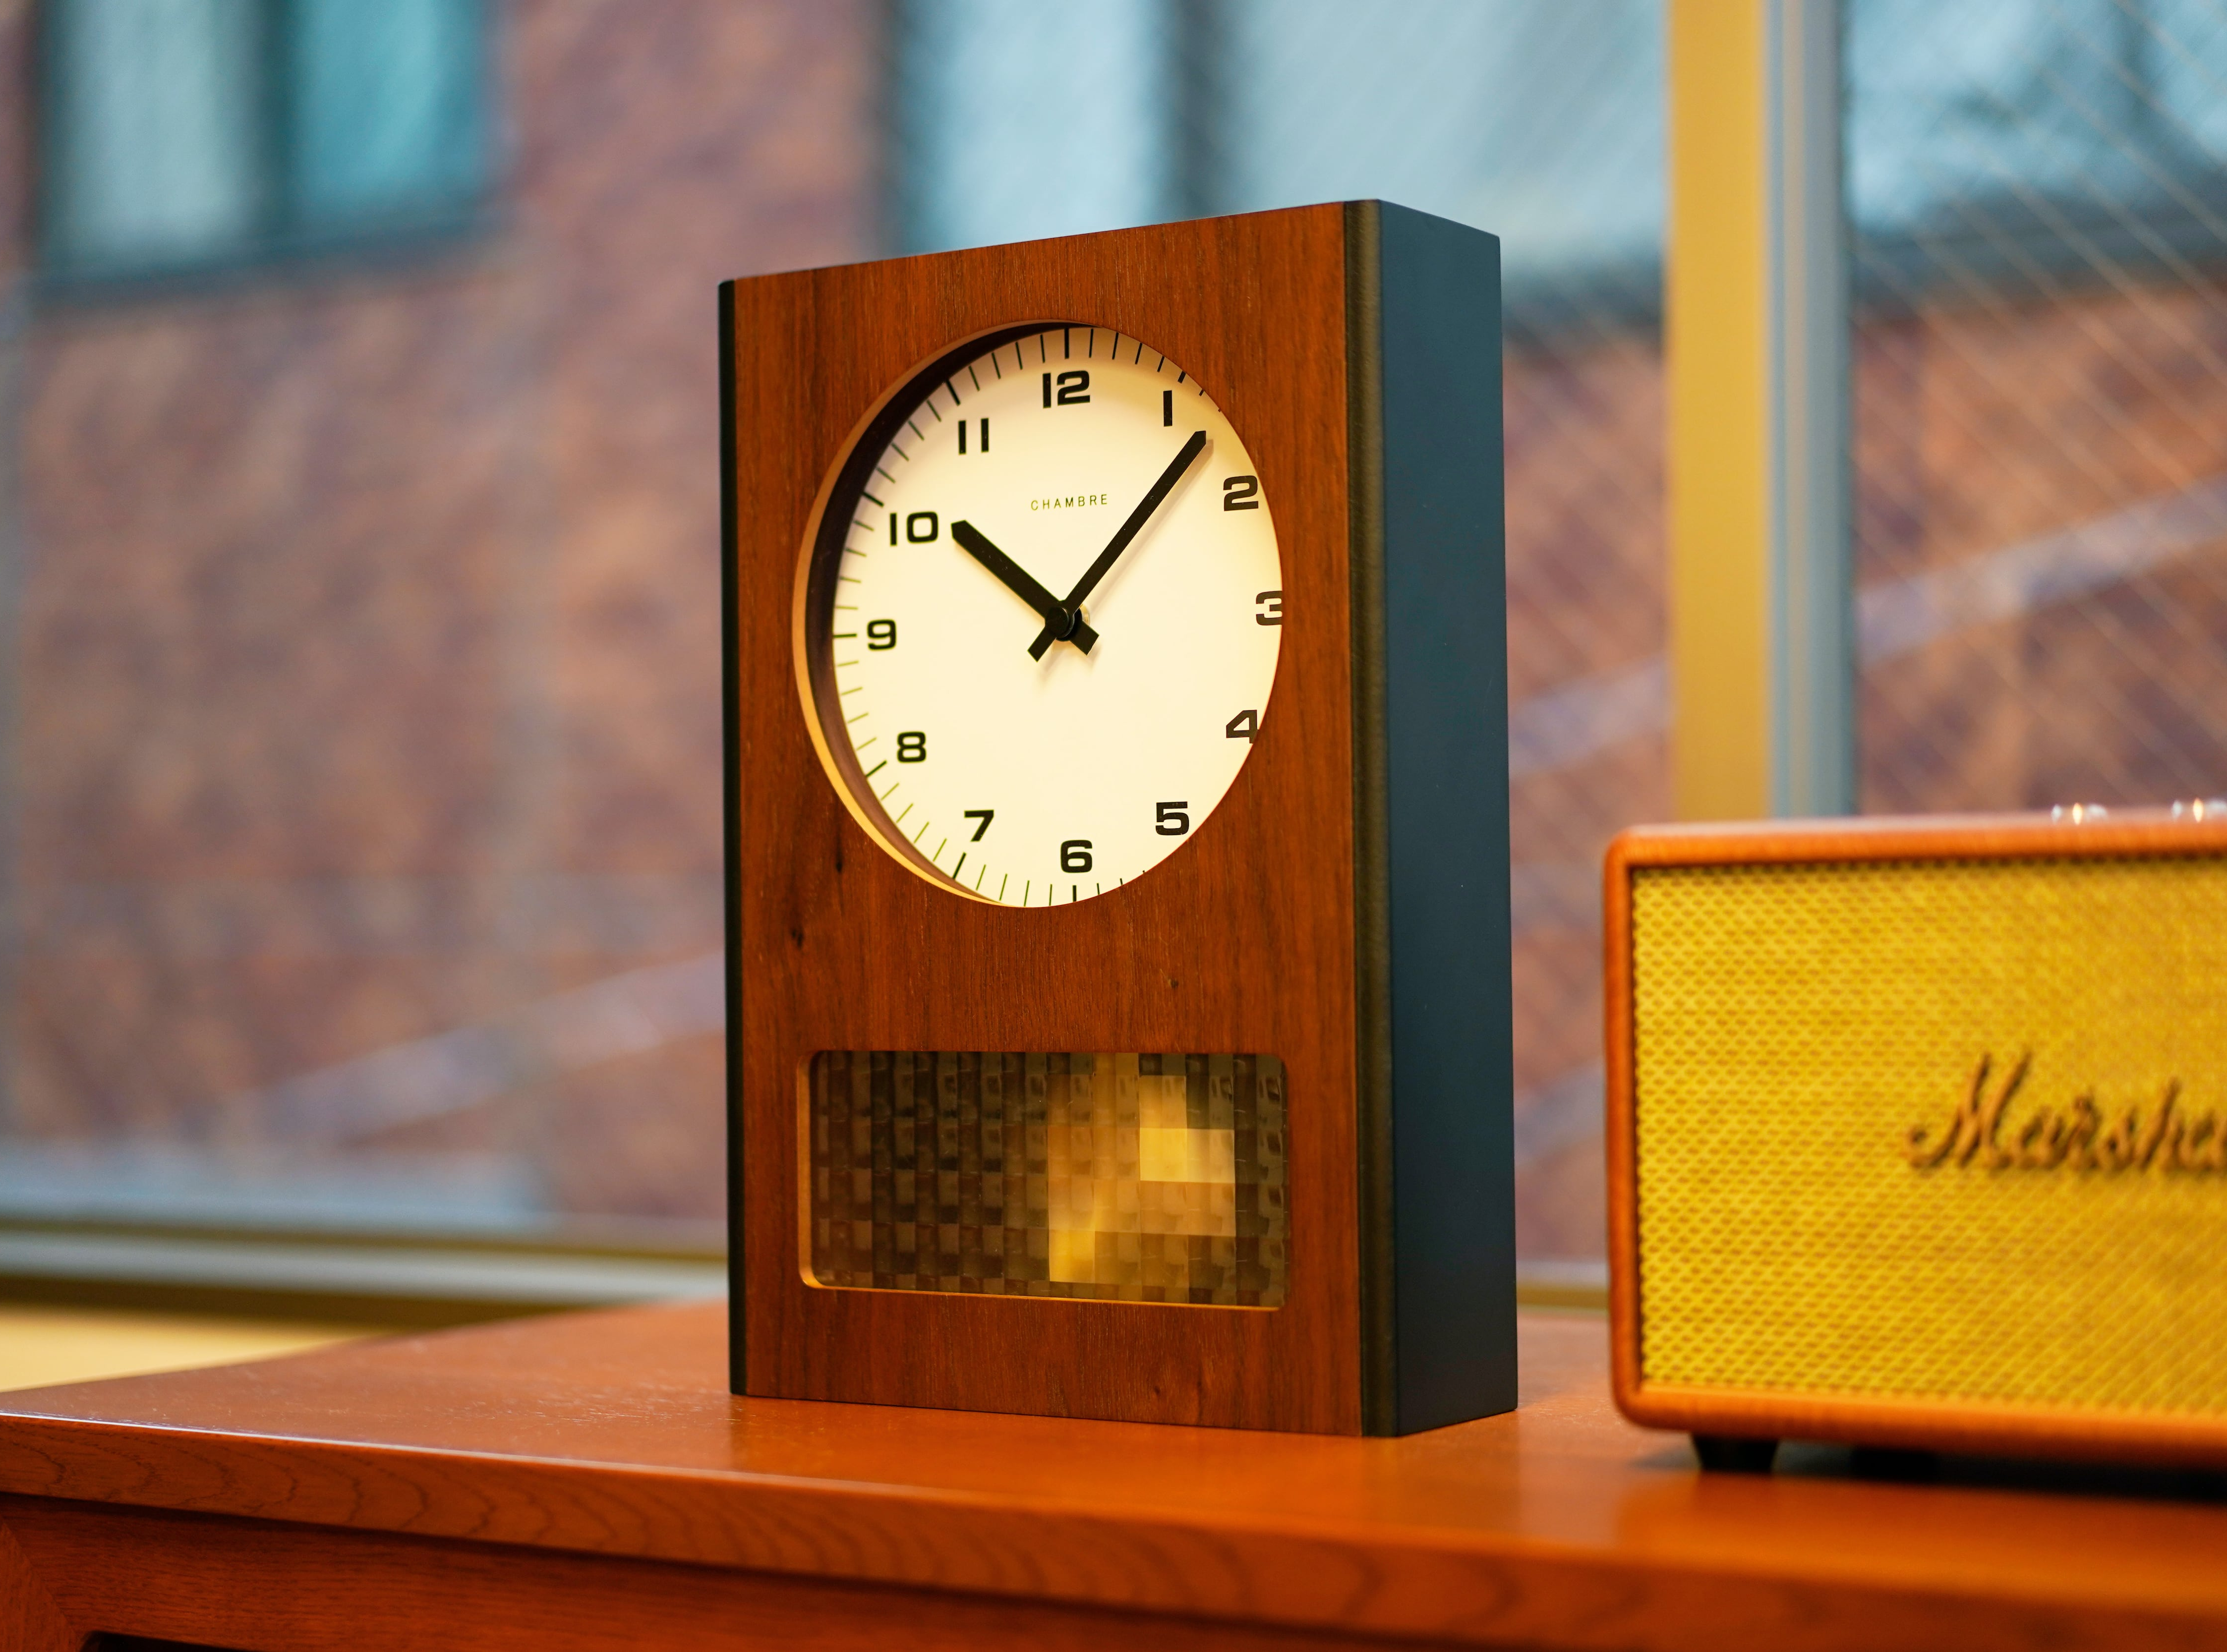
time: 10:07
